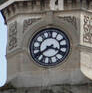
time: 3:39
